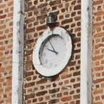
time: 9:54
